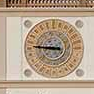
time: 8:45
